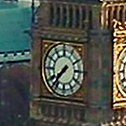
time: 7:37
